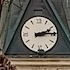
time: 2:14
